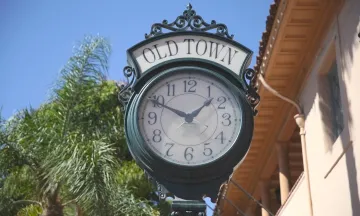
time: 1:49
